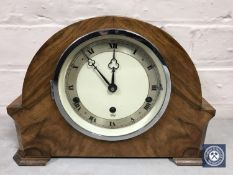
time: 11:53
